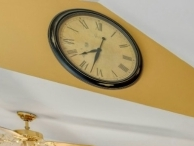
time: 12:32
